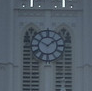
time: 1:50
